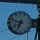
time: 6:47
